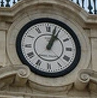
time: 1:03
